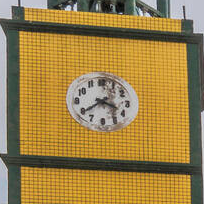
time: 3:39
